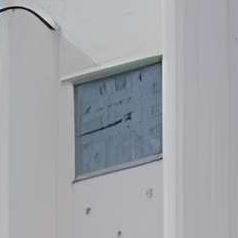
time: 8:45
